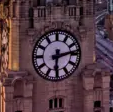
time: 6:13
